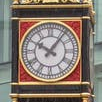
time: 10:06
